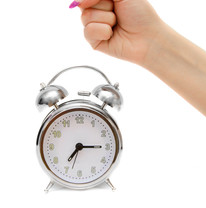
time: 7:15
